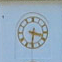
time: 3:31
